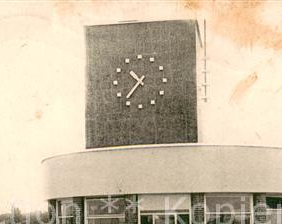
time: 10:37
